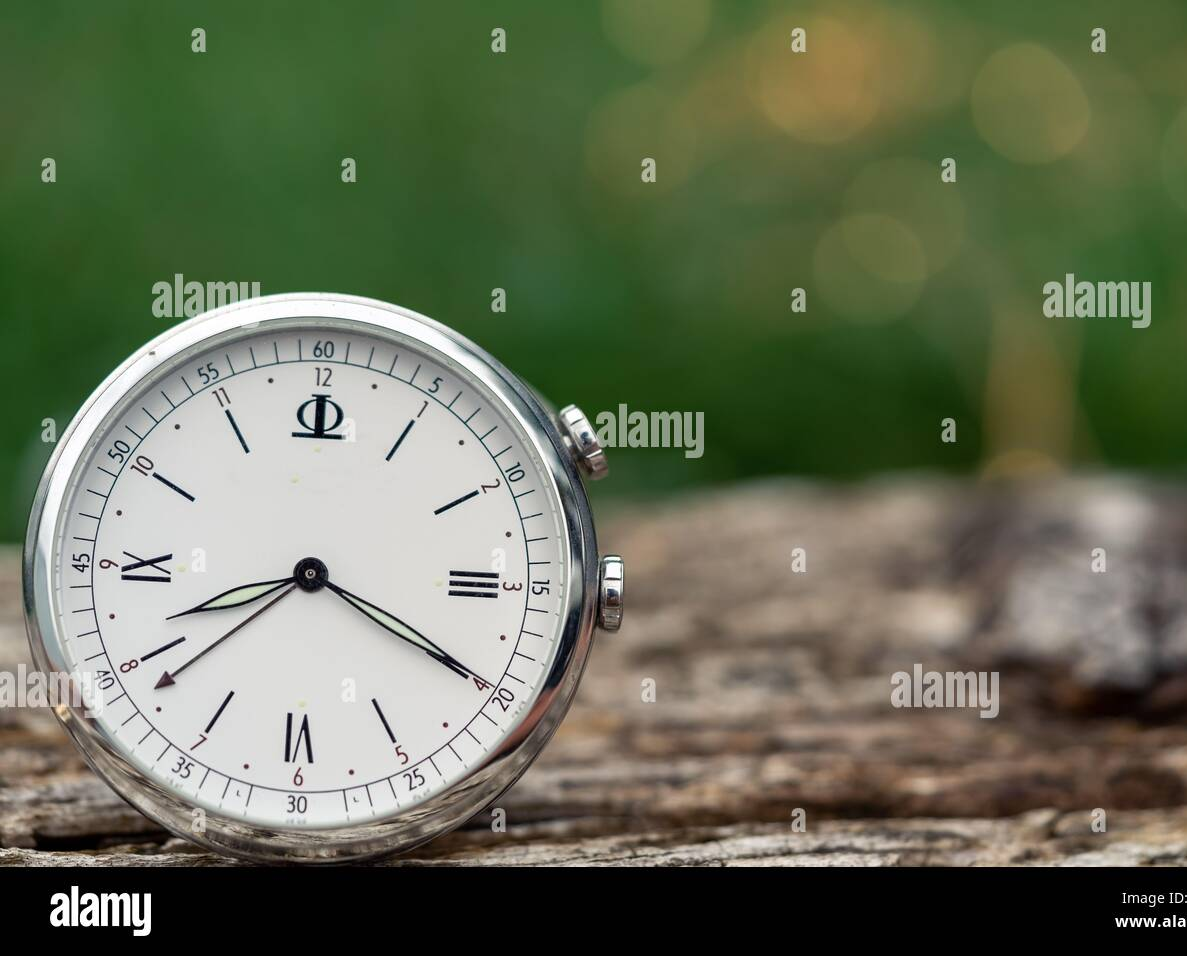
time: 8:19
